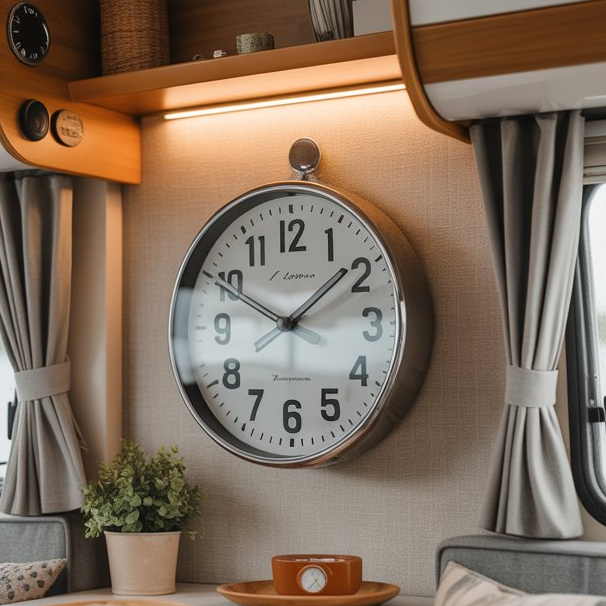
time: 1:49
